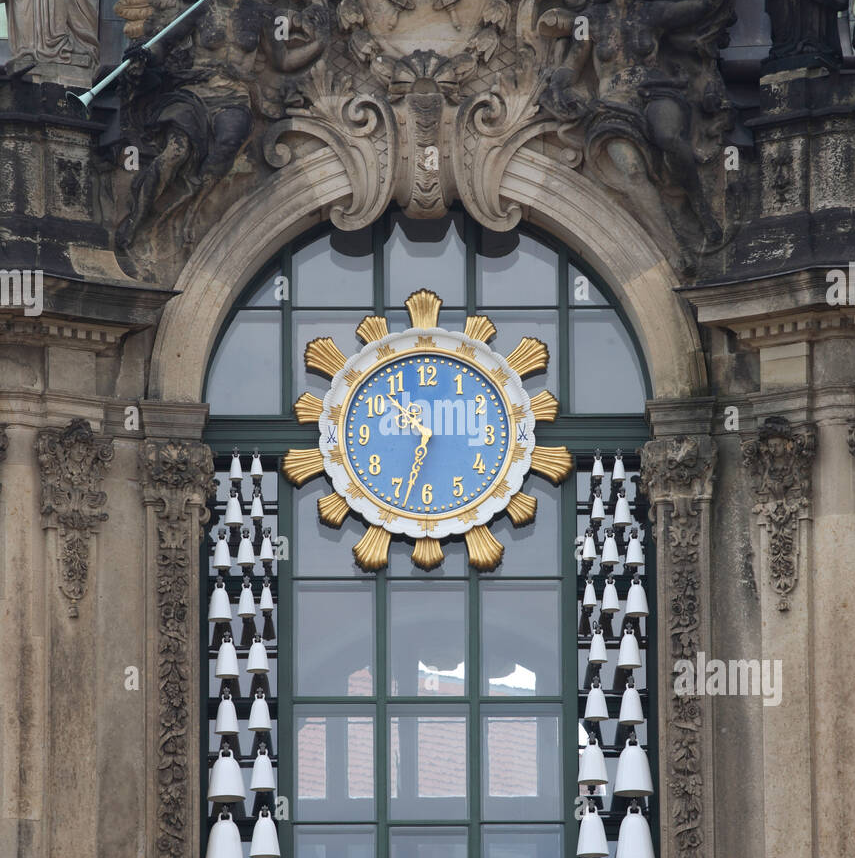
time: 6:32
